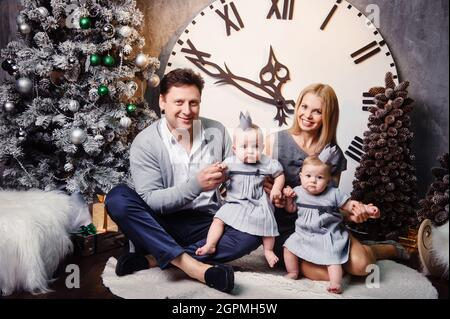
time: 11:49
